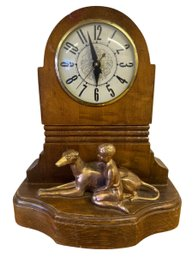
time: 5:57
